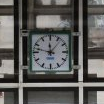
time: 11:47
